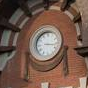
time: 3:16
